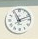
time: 11:11
